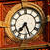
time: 7:26
